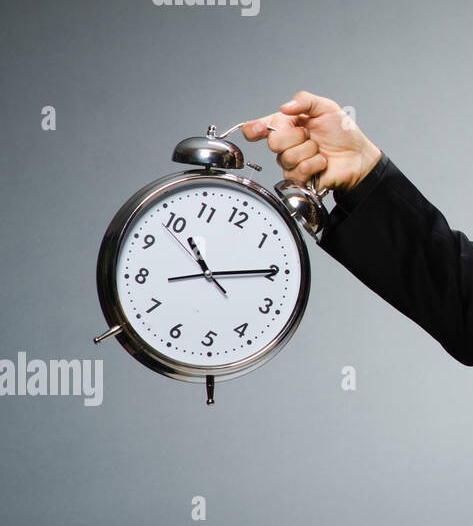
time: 11:14
